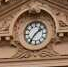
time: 1:36
